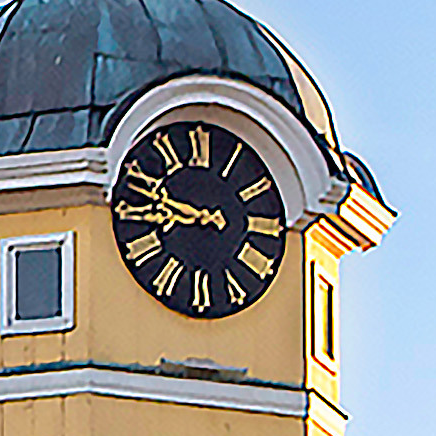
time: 8:47
